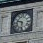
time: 9:31
